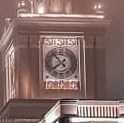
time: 7:52
